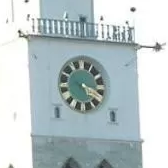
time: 5:18
